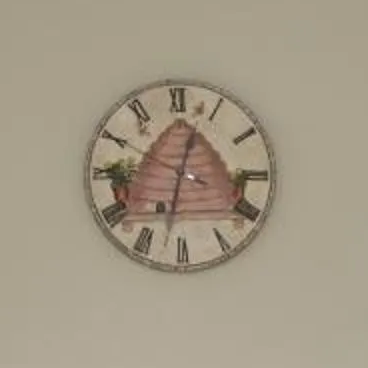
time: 12:32
